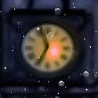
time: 6:56
